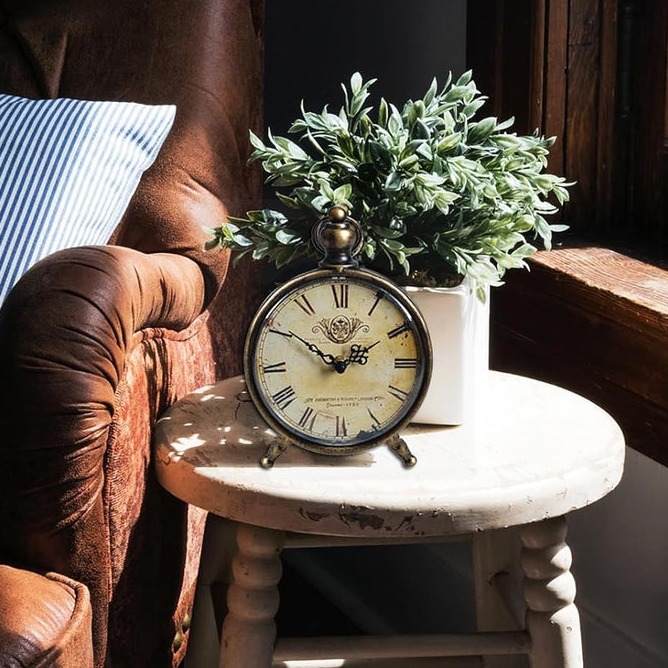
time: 1:50
